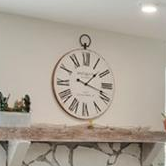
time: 1:18
